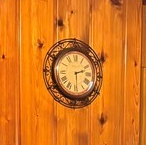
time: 2:29
